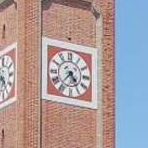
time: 4:36
